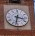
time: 3:32
